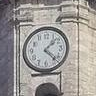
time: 1:22
